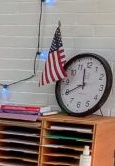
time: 11:40
